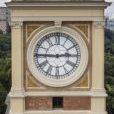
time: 2:45
